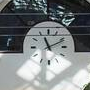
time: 11:11
